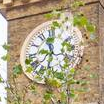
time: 9:32
